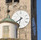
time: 7:32
